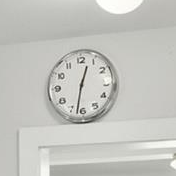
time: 12:32
